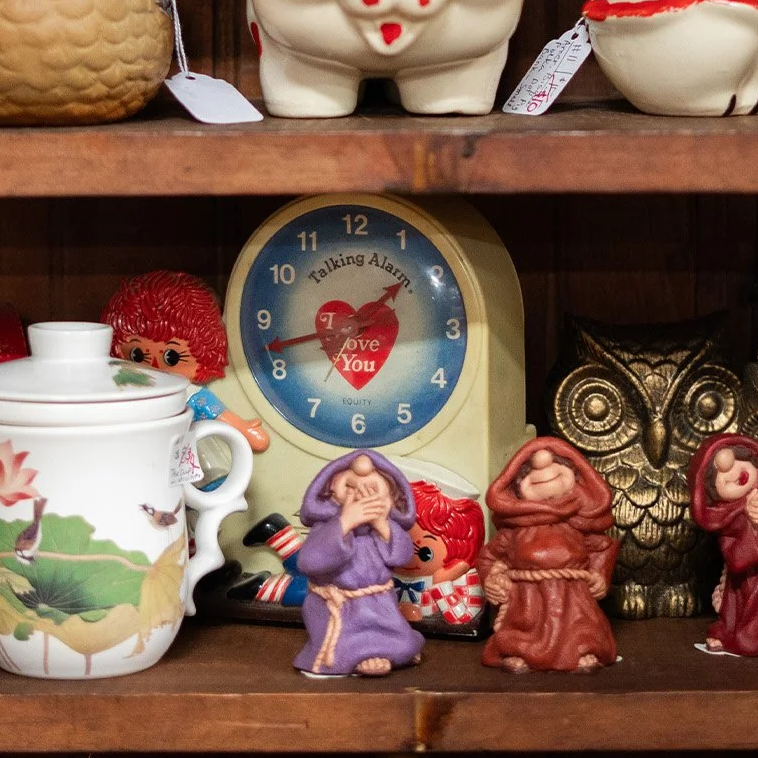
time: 1:42
